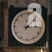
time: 1:16
